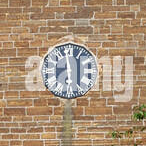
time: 5:58
